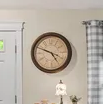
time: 4:48
